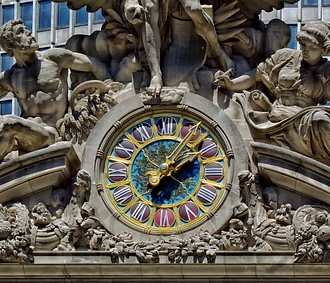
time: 2:06
